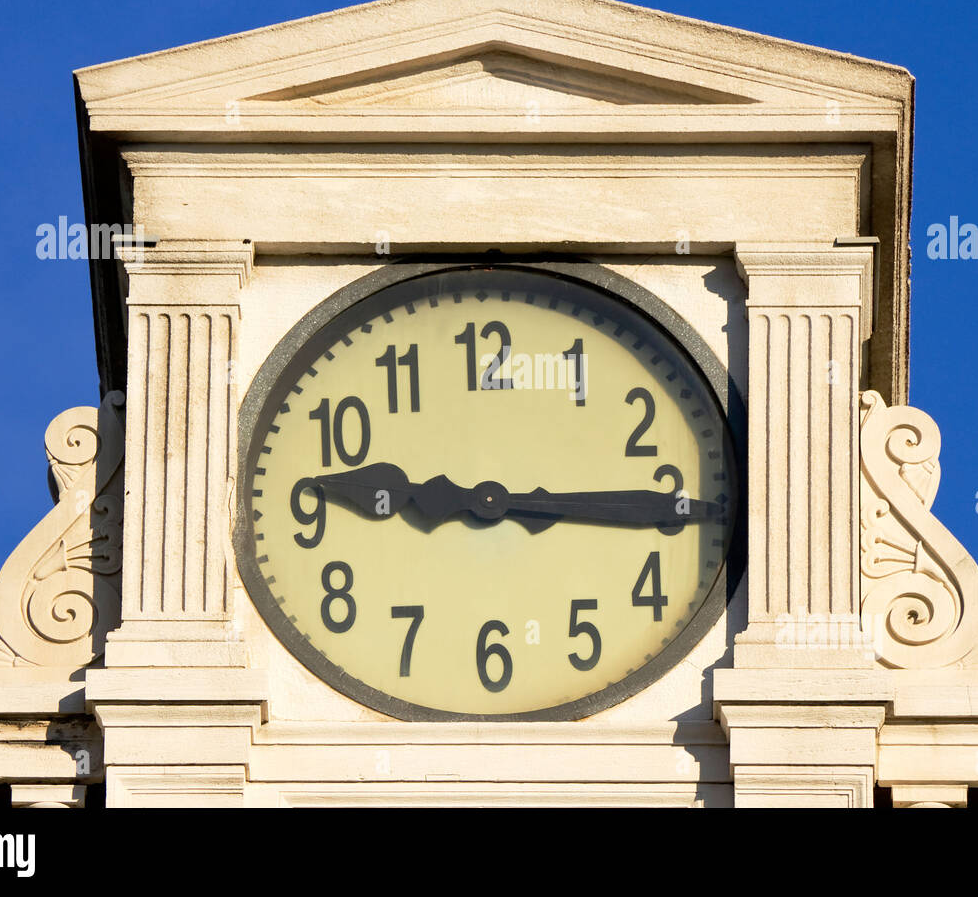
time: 9:15
